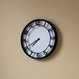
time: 7:40
